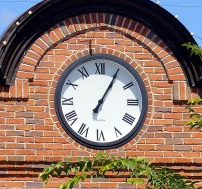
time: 7:05
